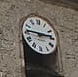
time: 2:45
